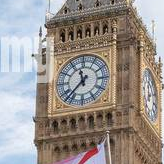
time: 11:37
